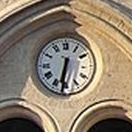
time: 6:31
